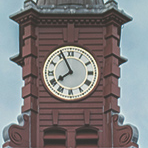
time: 7:55
